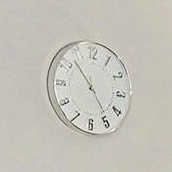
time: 4:53
